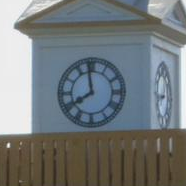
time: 7:58
